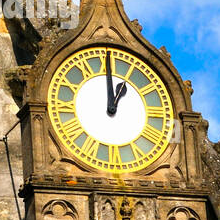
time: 1:00
